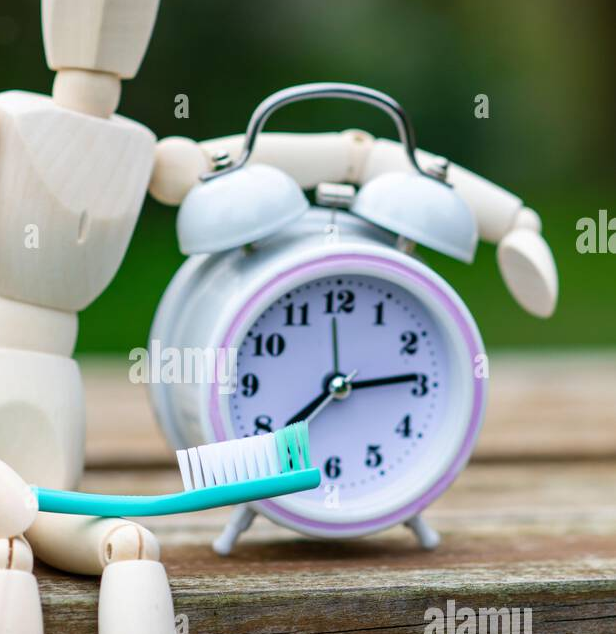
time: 7:14
